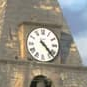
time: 4:22
